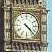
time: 4:22
